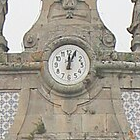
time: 12:04
